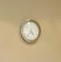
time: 4:36
